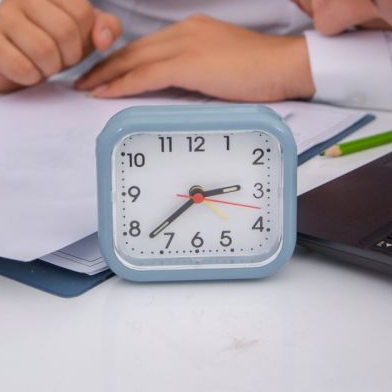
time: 2:38
